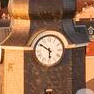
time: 5:50
